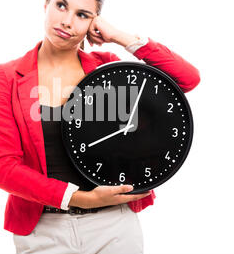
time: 8:02
